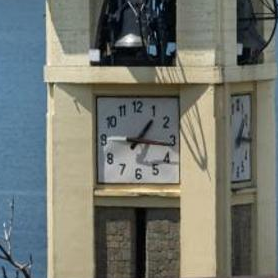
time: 1:16
